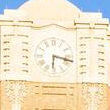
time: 6:17
